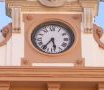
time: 5:36
